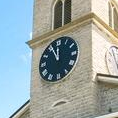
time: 11:55
